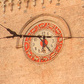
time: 5:45
